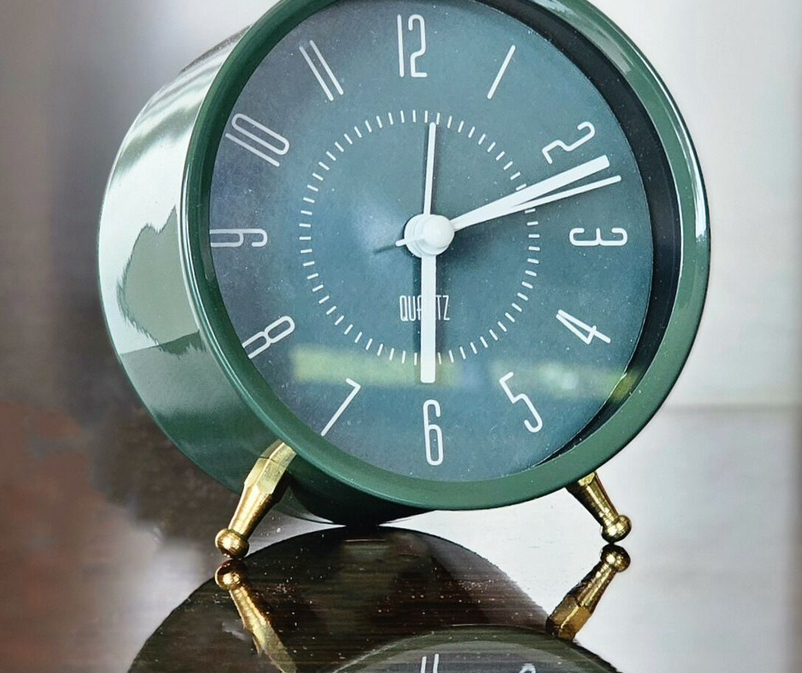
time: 6:11
